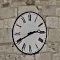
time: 2:40
